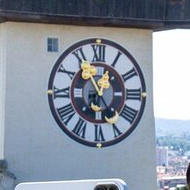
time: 12:55
